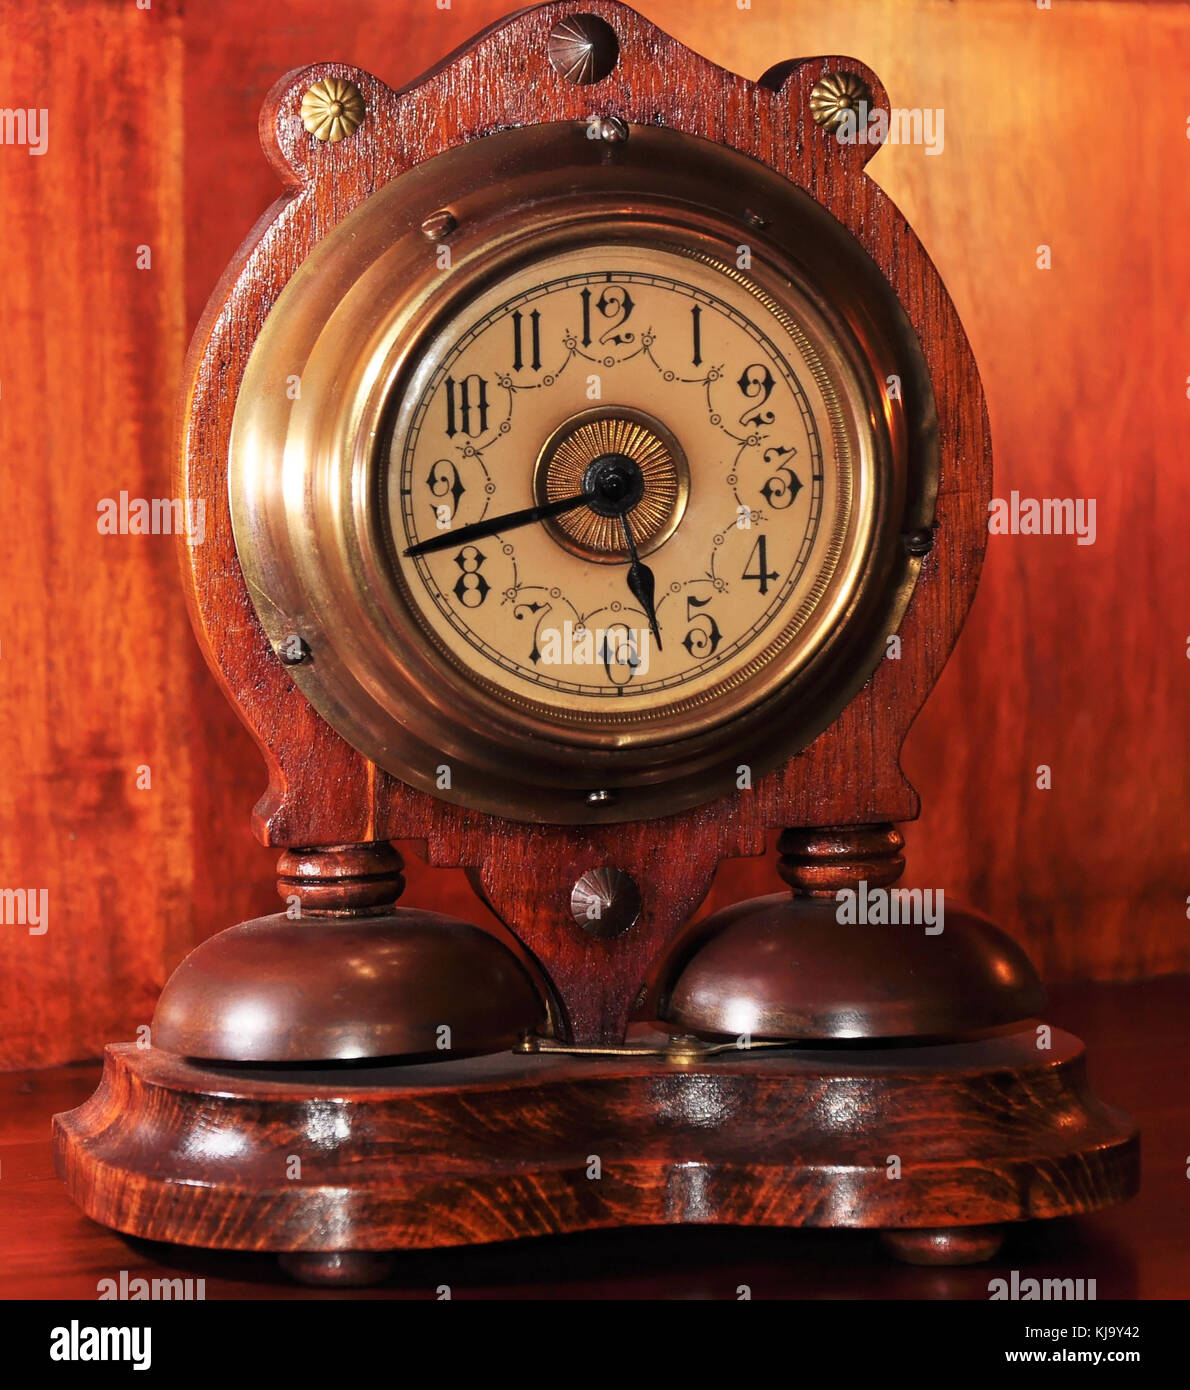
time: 5:42
